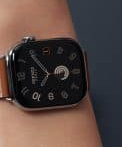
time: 6:54
